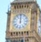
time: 12:00
